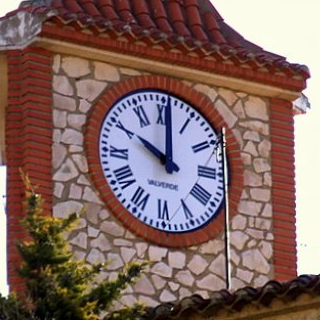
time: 10:00
